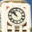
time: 10:51
